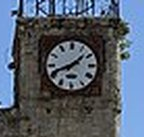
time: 1:41
